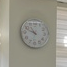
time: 10:48
